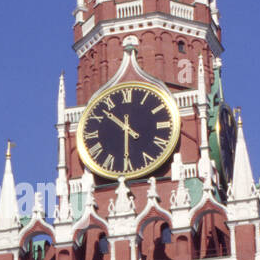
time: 10:30
